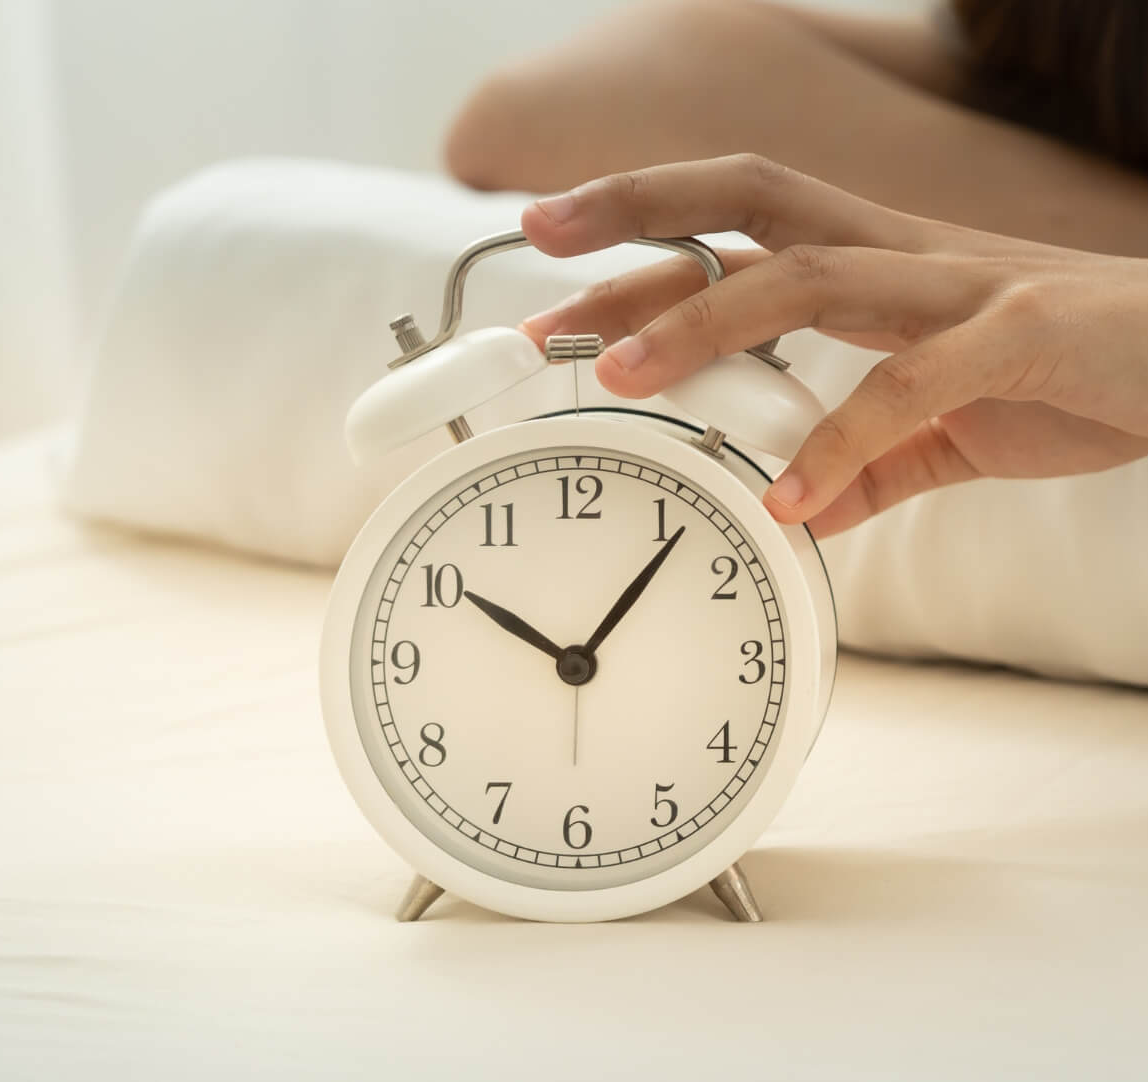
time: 10:06
